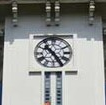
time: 10:24
